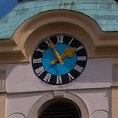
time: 1:55
